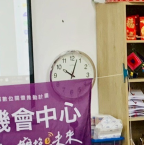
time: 10:02
